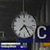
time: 7:25
